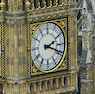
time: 2:18
